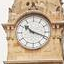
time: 10:18
